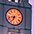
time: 6:42
